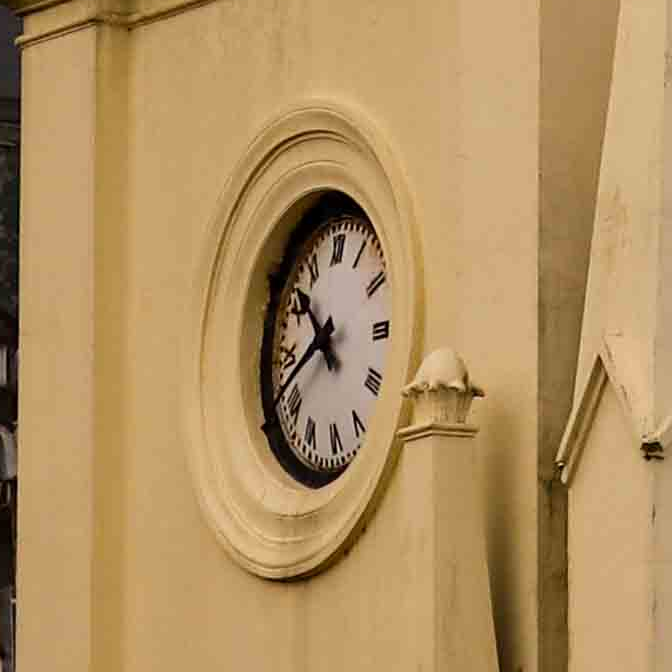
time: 10:41
